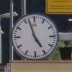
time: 4:57
